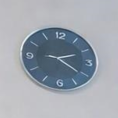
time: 2:20
